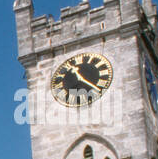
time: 11:20
